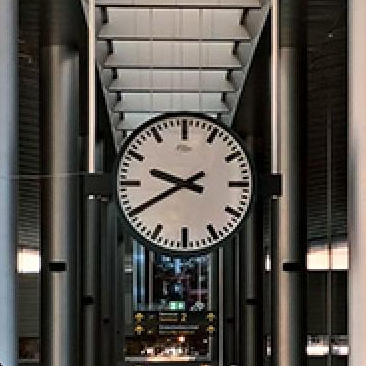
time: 9:40
